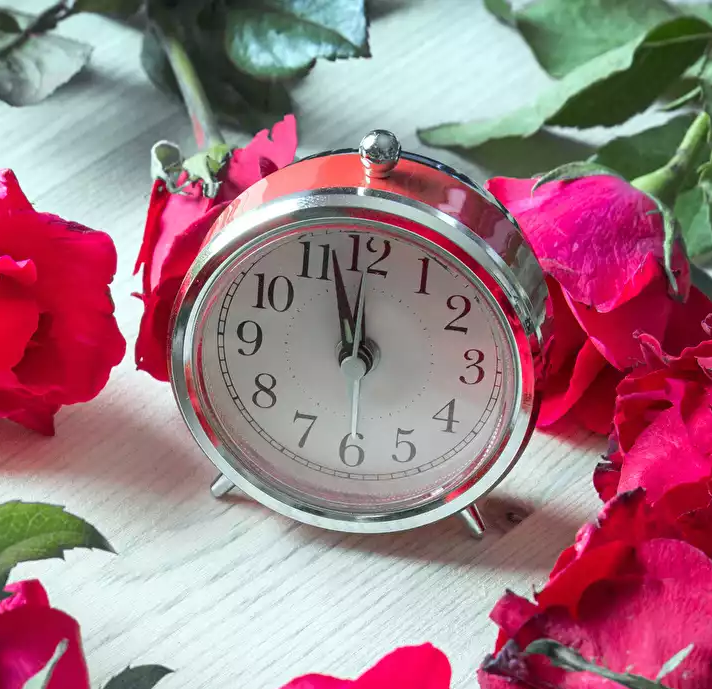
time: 11:57
